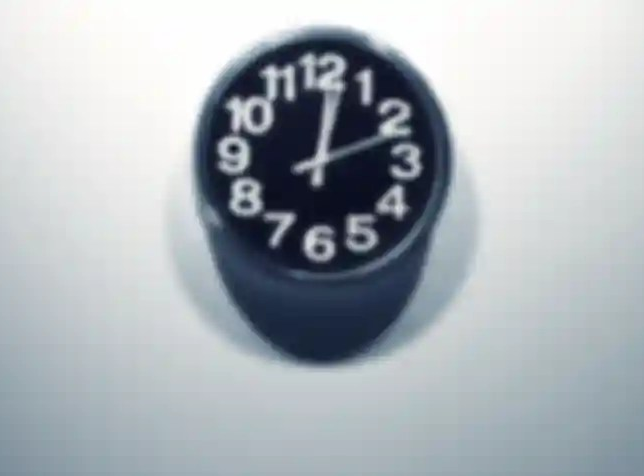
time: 12:11
